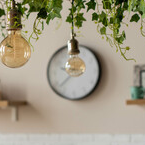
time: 2:37
